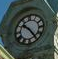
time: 10:24
